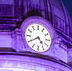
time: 4:40
